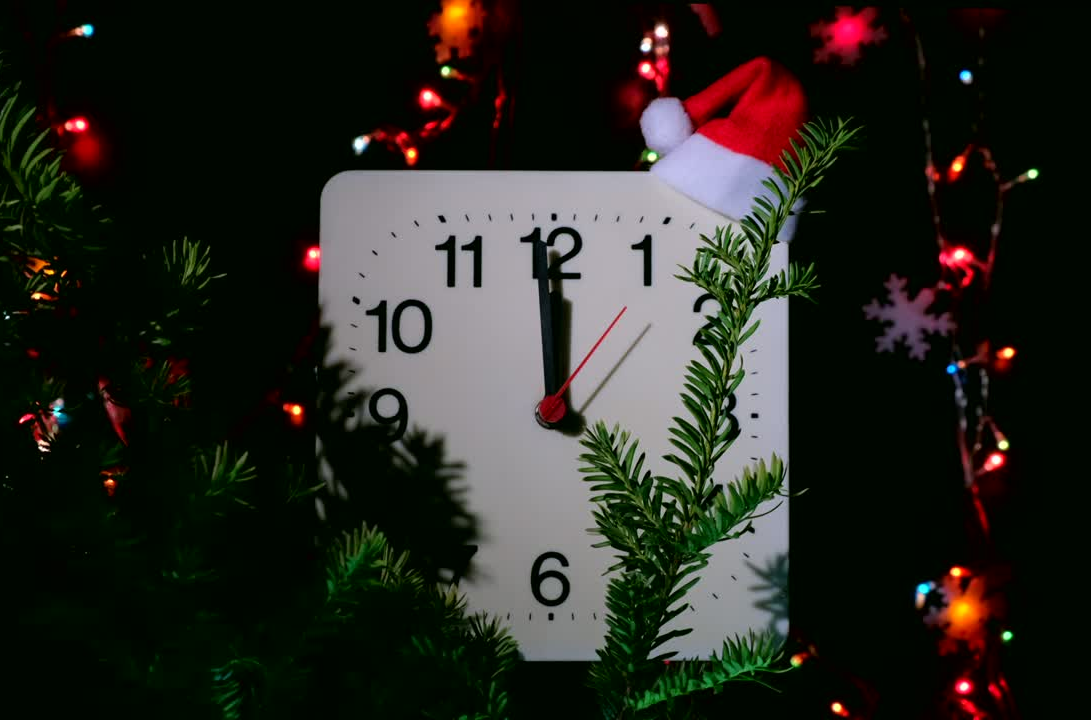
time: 11:59
